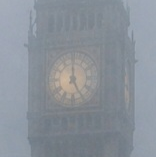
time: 4:59
